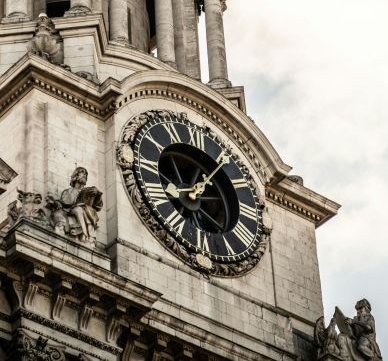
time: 8:06
